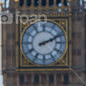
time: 2:11
